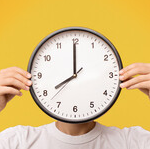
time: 7:59
